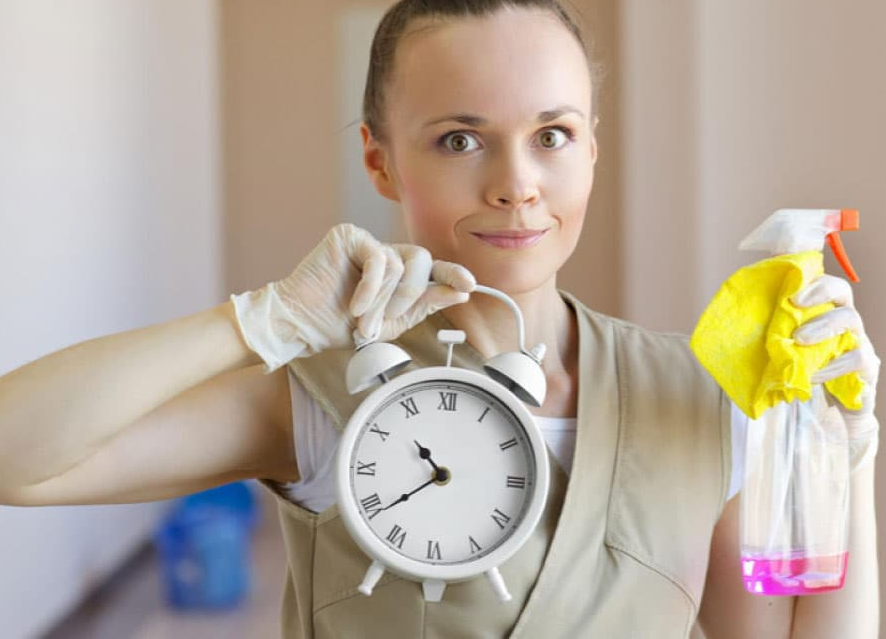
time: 10:38
